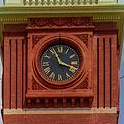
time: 11:18
